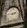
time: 2:46
